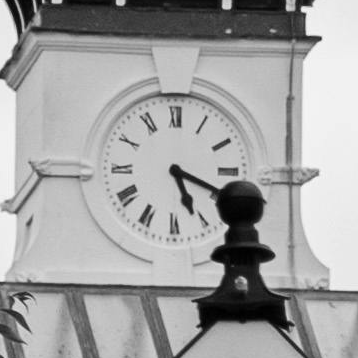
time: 5:18
